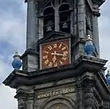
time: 6:17
